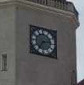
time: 2:35
